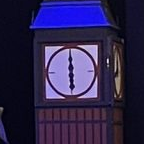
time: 5:59
